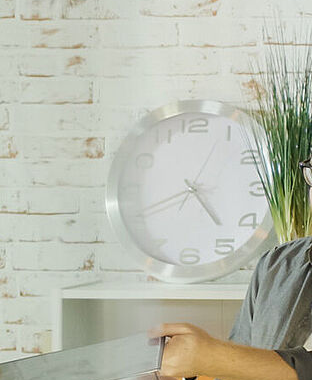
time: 4:41
